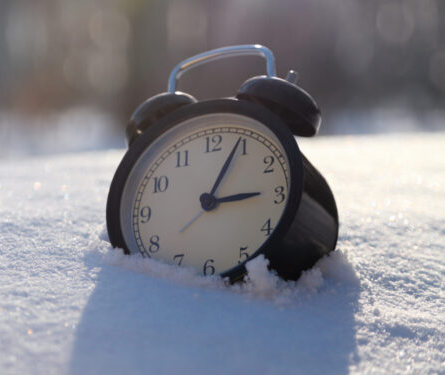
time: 3:04
